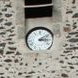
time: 3:09
